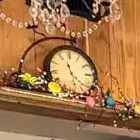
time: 11:22
